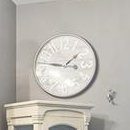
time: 1:47
